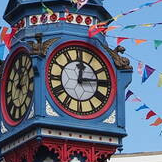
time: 12:14
